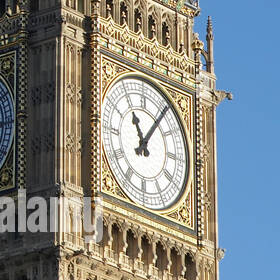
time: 11:06
